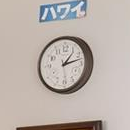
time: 1:12
